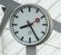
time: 8:25
